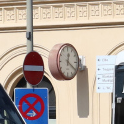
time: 12:20
